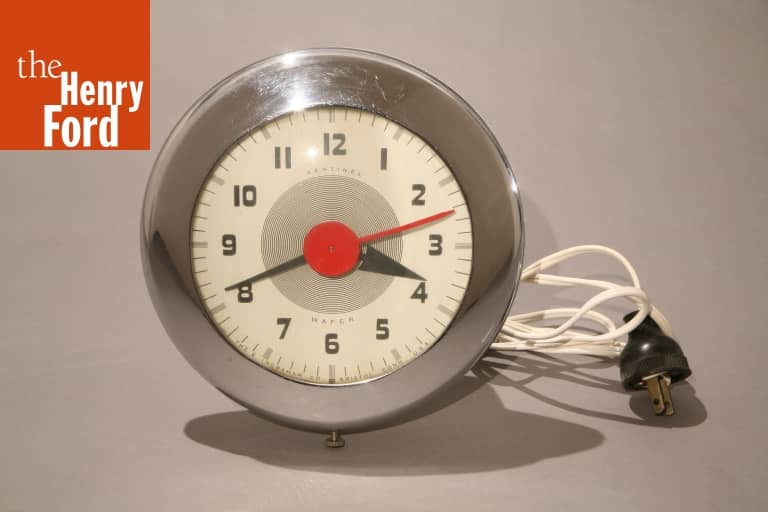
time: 3:41
